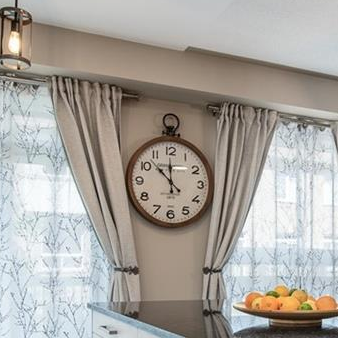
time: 11:52
